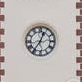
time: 12:36
